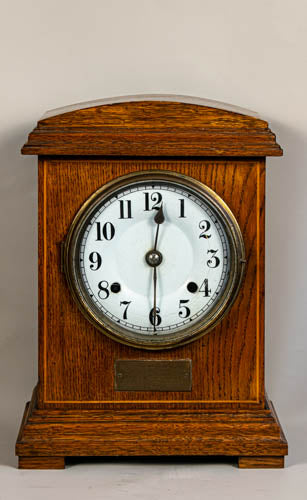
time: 6:01
